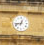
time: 12:43
